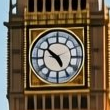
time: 4:51
